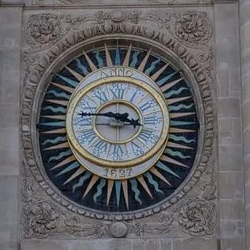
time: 3:45
